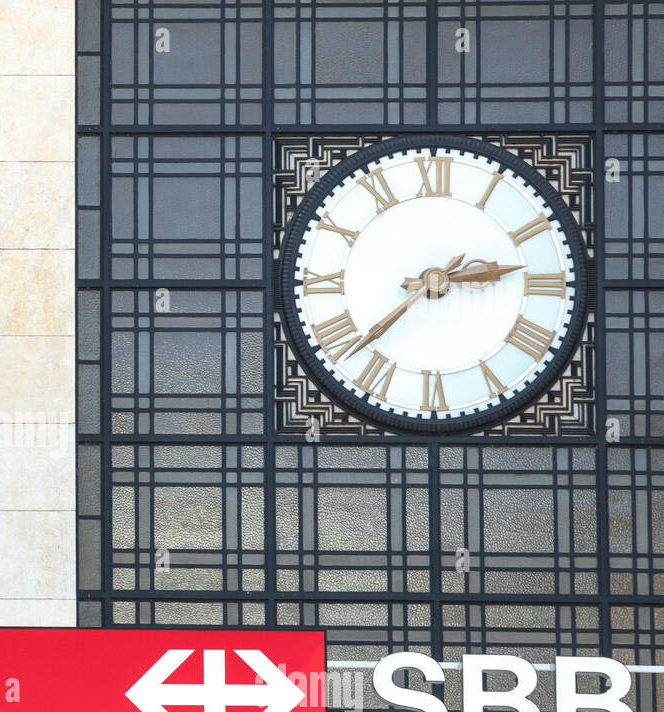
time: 2:37
